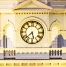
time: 5:37
